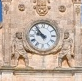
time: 9:53
